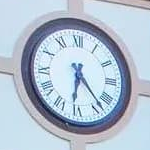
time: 6:23
